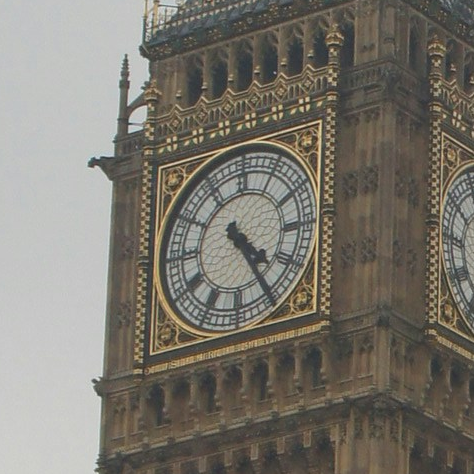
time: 4:24
